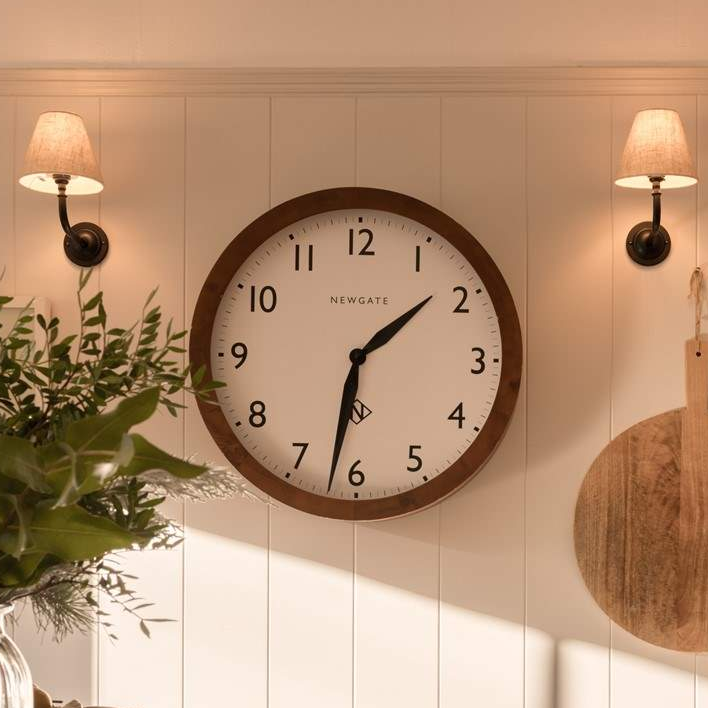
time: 1:31
